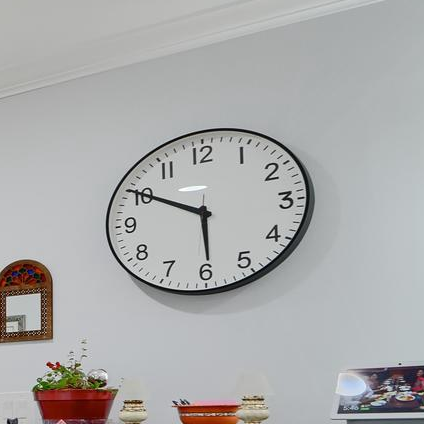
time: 5:50
